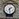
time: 1:28
